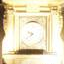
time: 9:38
